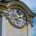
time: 6:12
